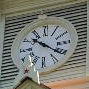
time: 10:21
